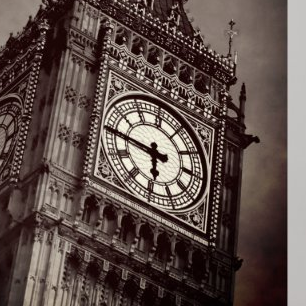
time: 5:45
